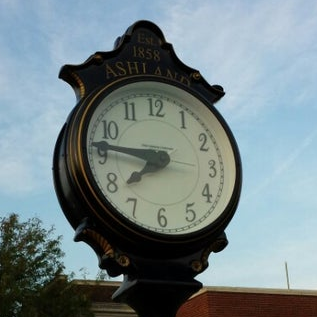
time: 7:46
